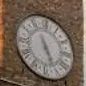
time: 5:26
